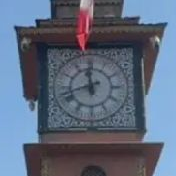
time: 11:42
